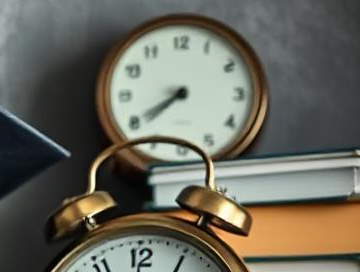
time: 7:39
